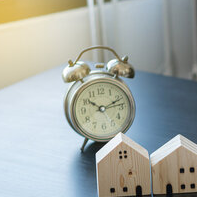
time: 10:12
